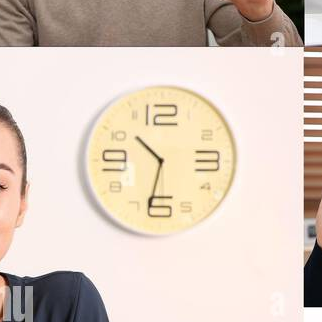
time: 10:32
